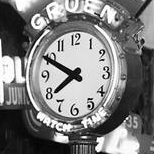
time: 7:49
